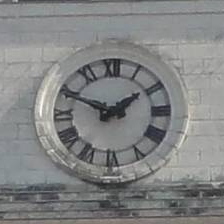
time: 1:49
